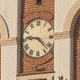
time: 9:22
